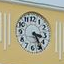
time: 3:24
